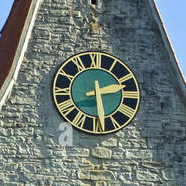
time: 2:28
